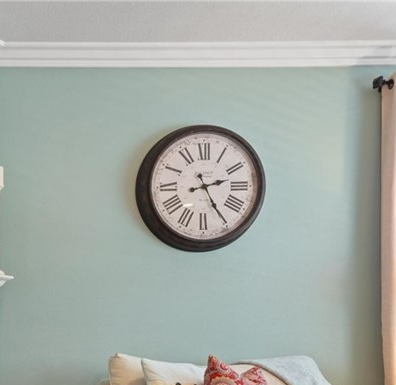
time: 2:24
